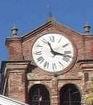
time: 11:17
